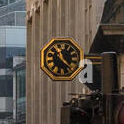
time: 11:22
